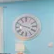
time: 3:48
